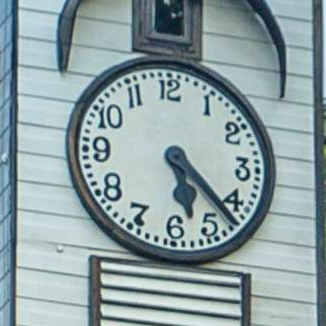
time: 5:22
